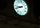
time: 8:41
